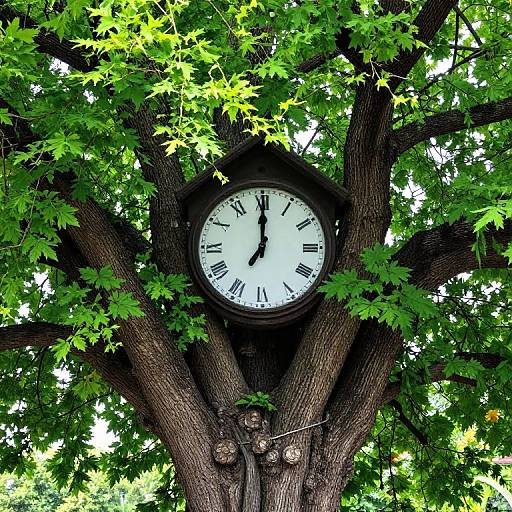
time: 7:00
